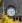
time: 5:11
